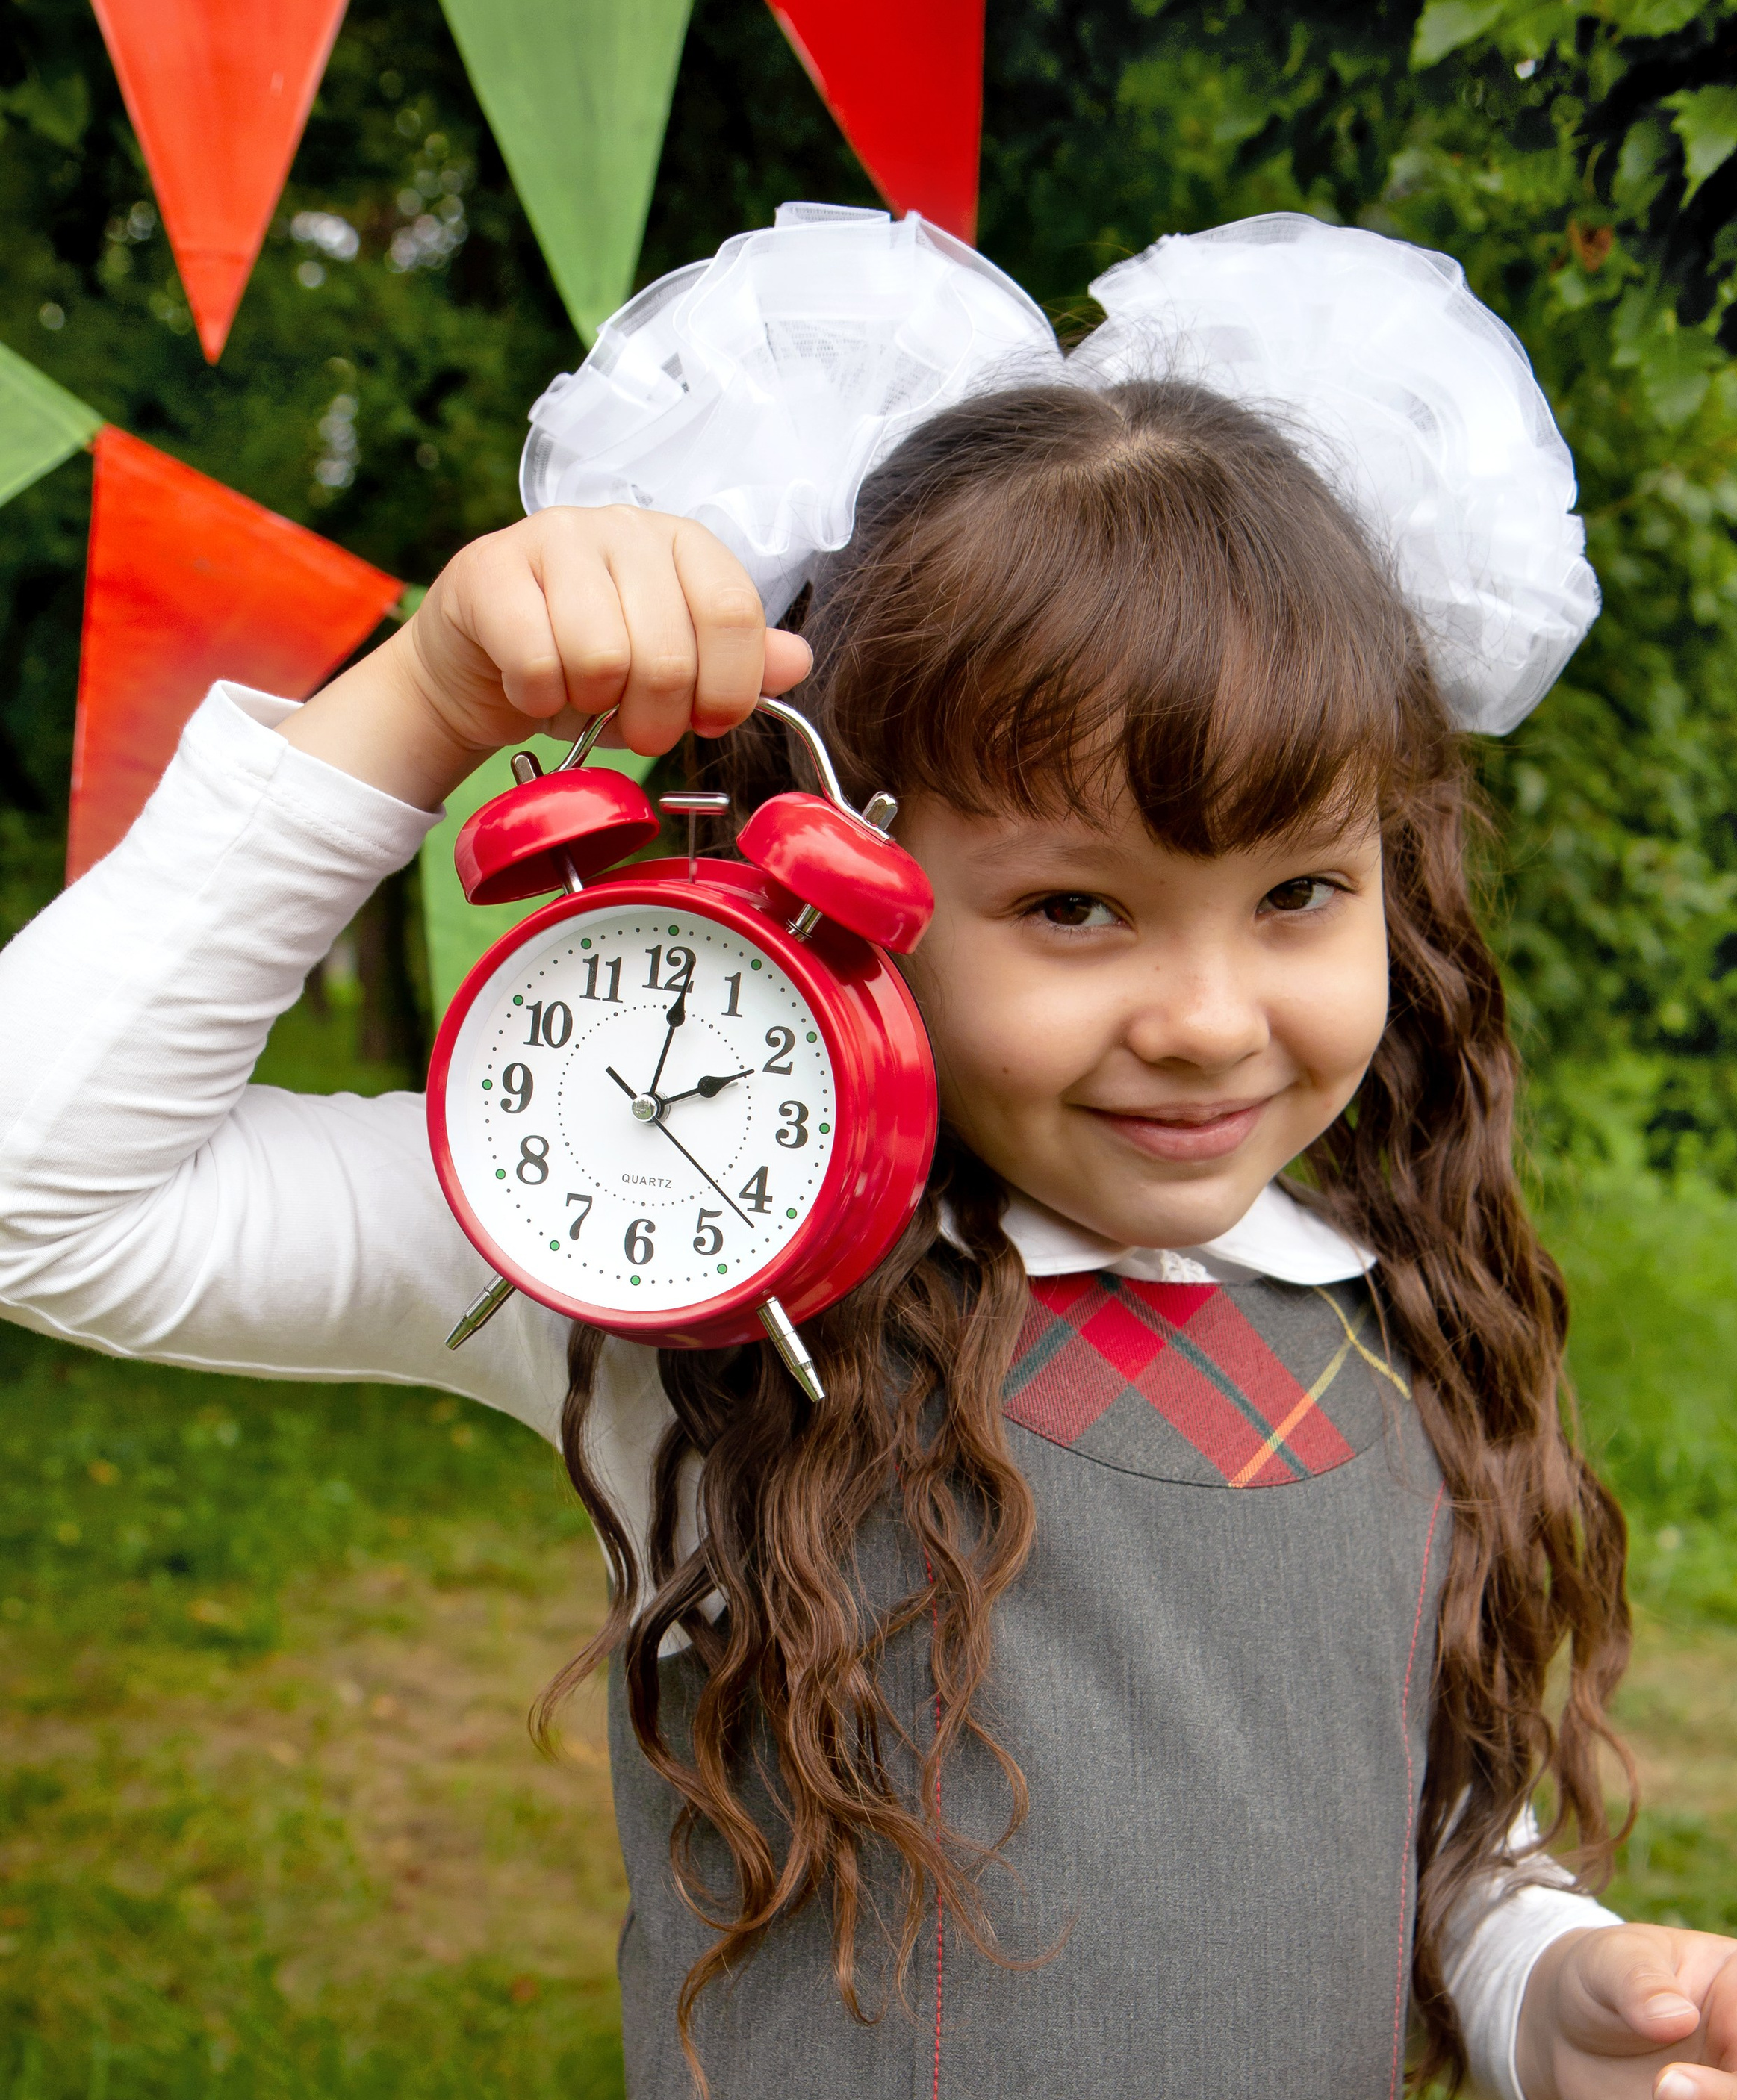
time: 2:01
